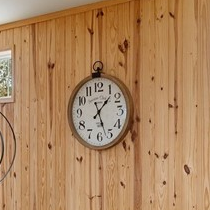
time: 1:26
